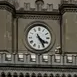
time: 4:25
